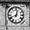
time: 12:41
